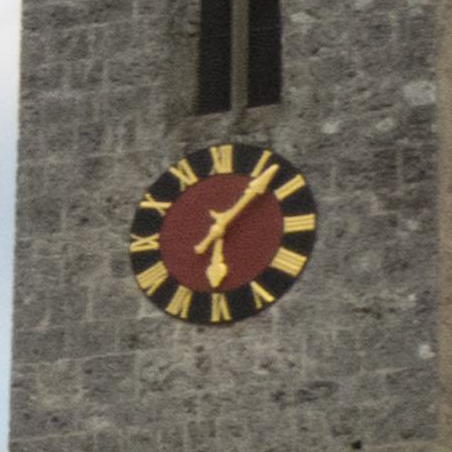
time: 6:07
